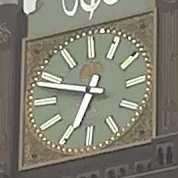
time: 6:48
